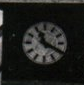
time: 11:19
